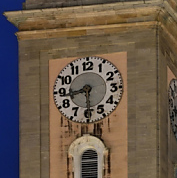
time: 8:29
